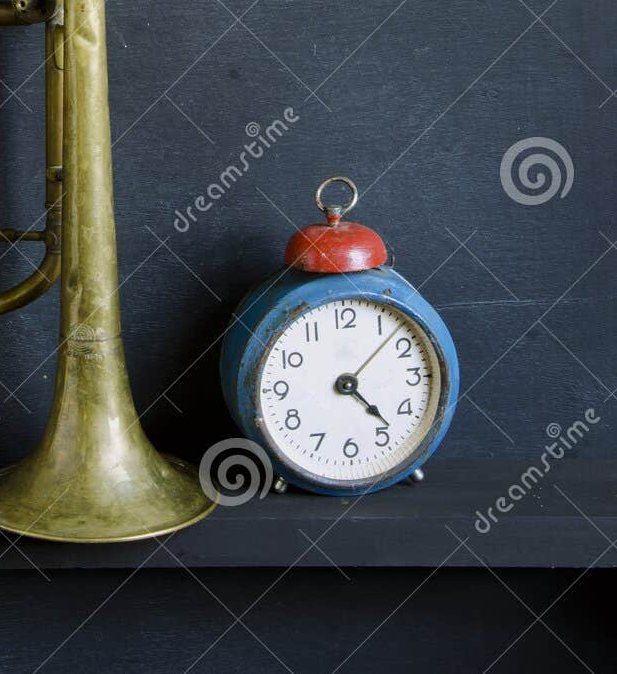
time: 4:23
